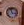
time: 2:58
